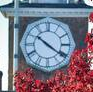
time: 10:20
